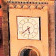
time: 5:38
